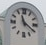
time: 11:20
